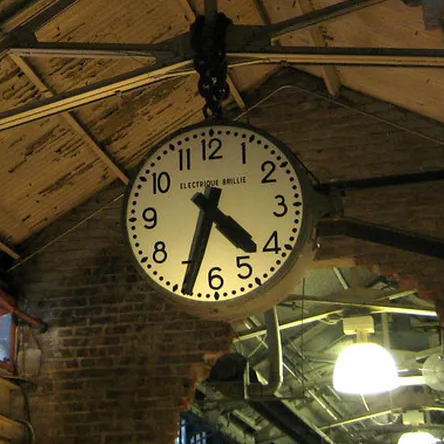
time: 4:33
